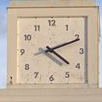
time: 4:11
